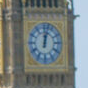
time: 12:02
